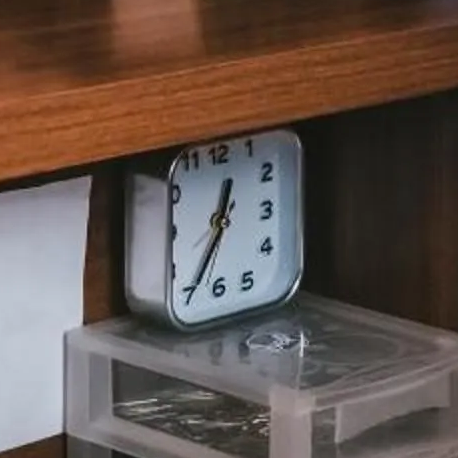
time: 12:34
